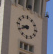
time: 8:40
